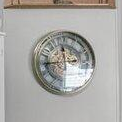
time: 11:43
